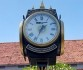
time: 1:34
